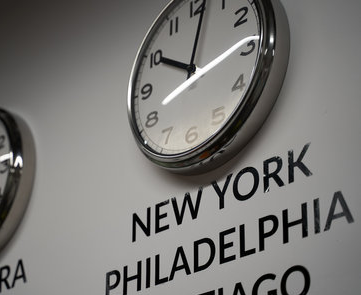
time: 10:01
